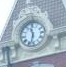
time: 11:32
